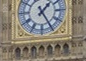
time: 1:24
